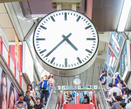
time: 4:37
